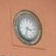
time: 3:33
